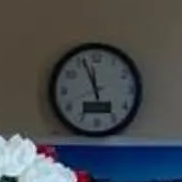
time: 11:56
